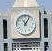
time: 11:05
